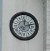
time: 12:12
